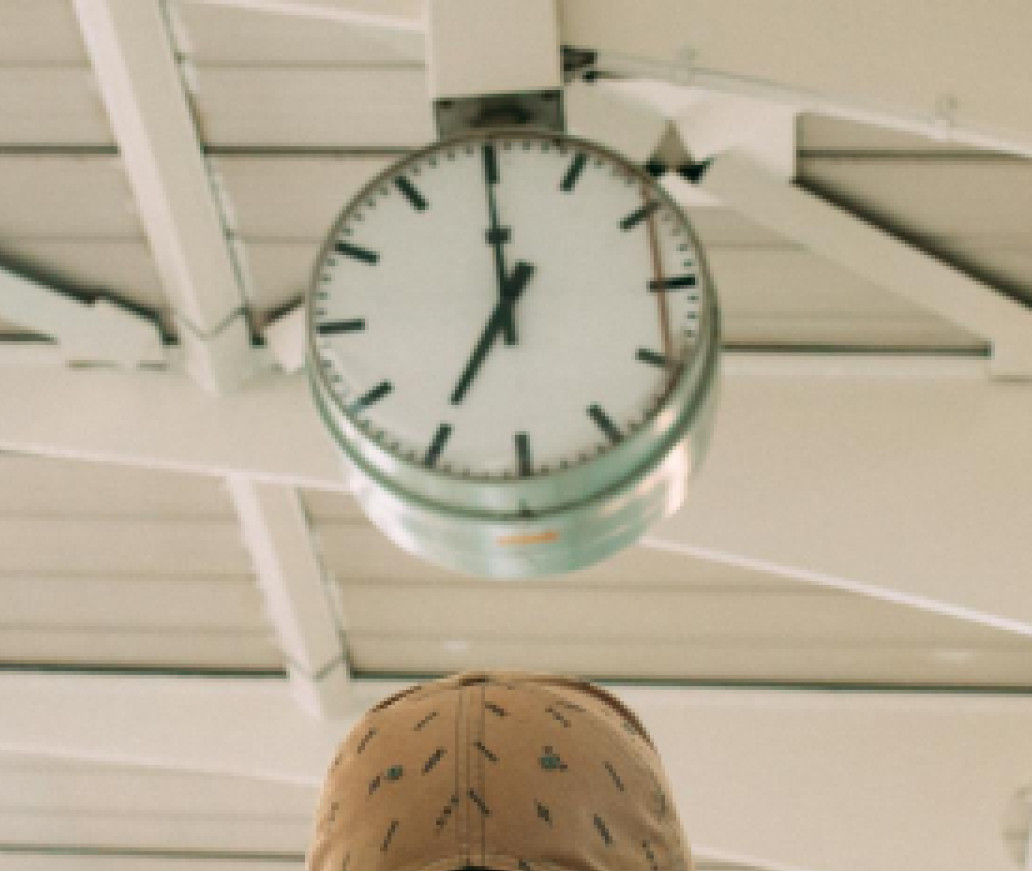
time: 7:00
